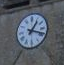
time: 1:18
